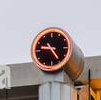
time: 9:24
